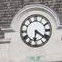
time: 6:21
